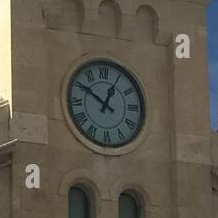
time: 12:50
